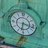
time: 6:17
